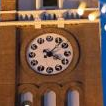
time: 4:07
